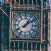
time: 1:09
